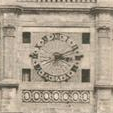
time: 3:11
